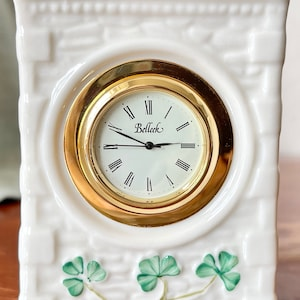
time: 2:49
